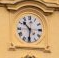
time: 10:30
